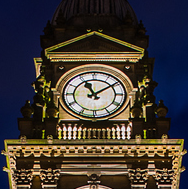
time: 11:09
